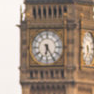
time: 6:24
